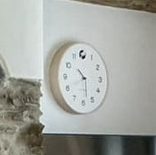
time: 10:28
